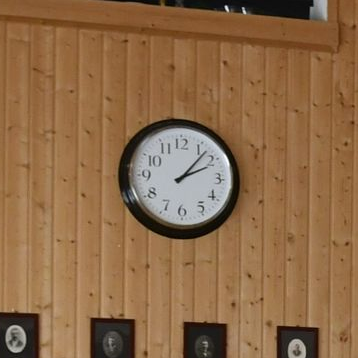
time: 2:07
